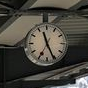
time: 11:25
